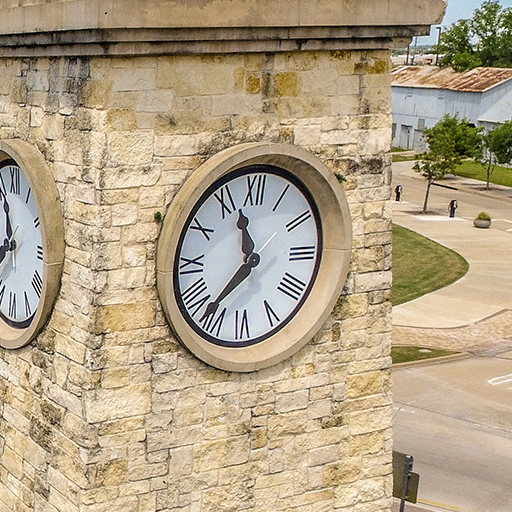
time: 11:36
